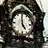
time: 4:59
